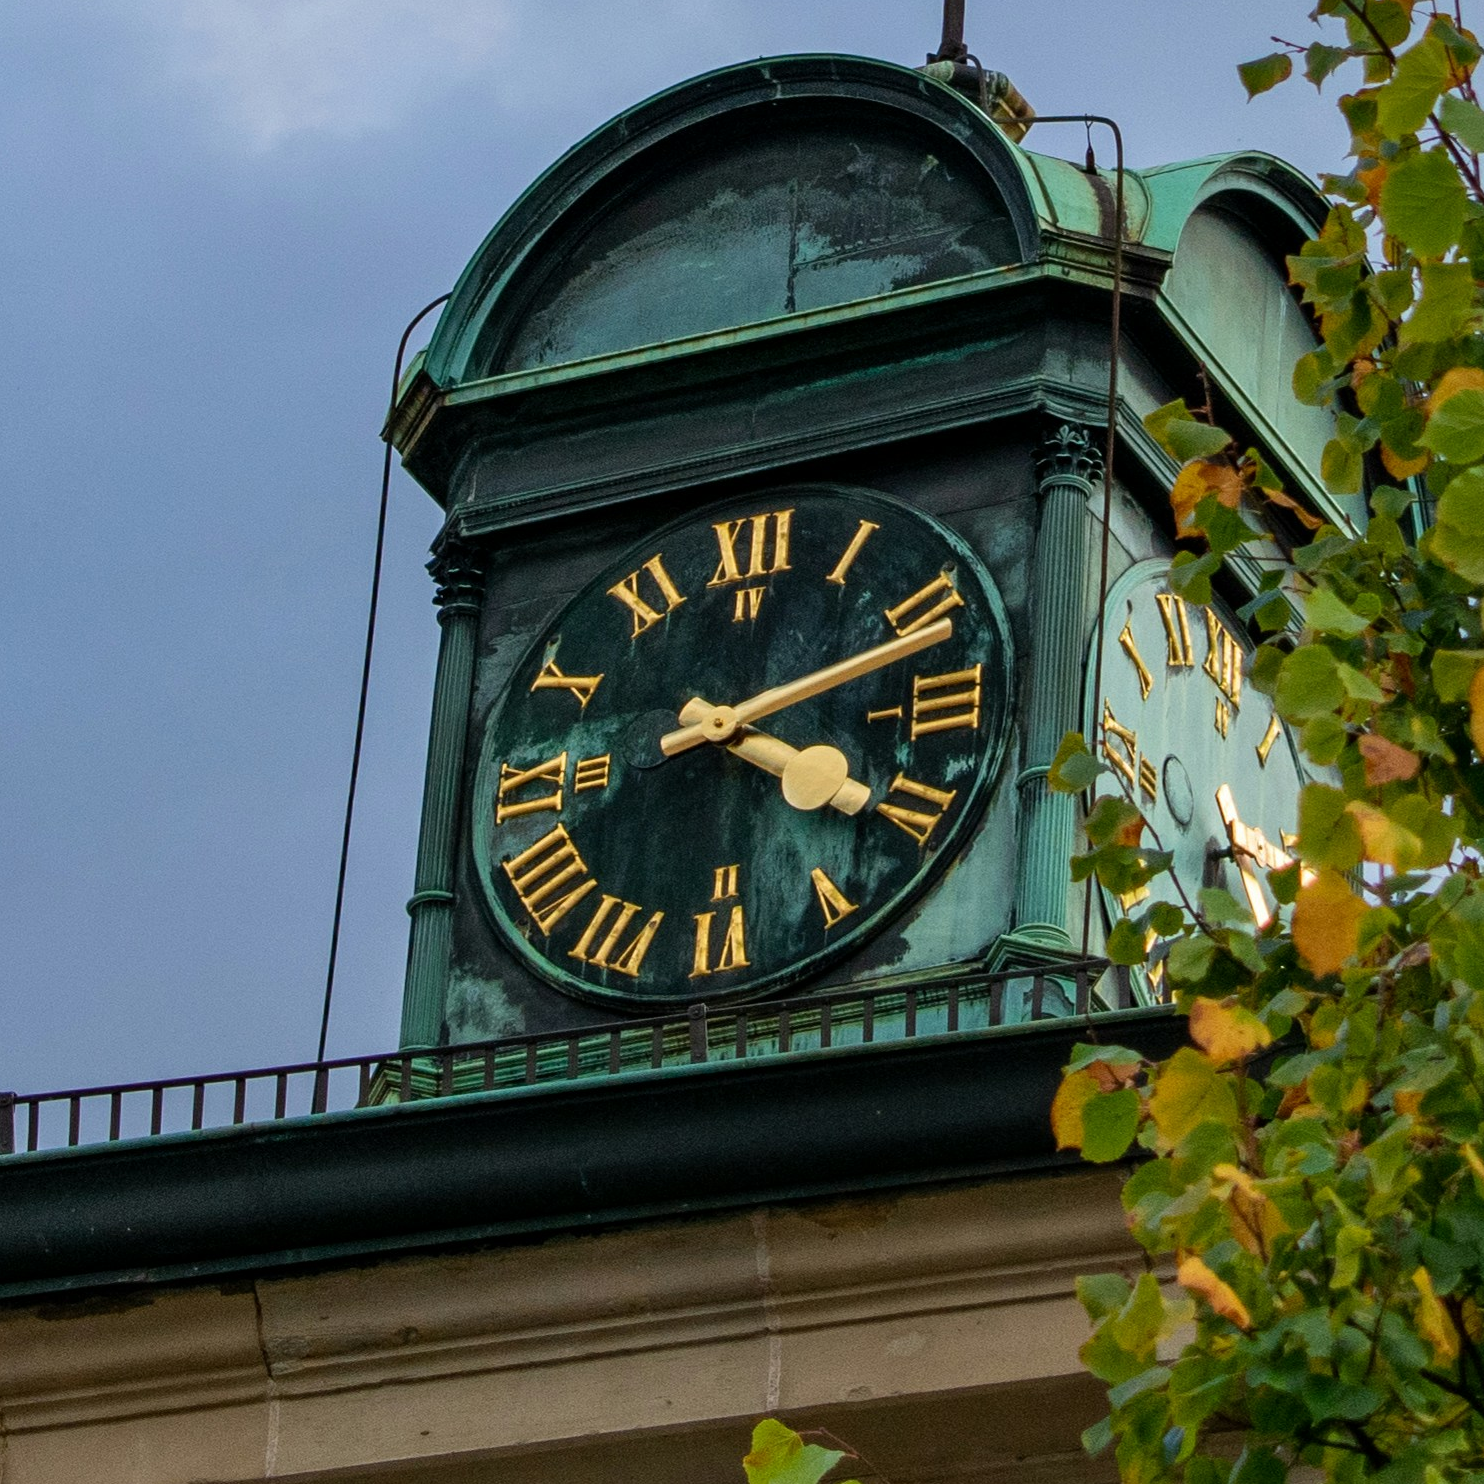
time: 4:11
